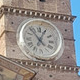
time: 12:53
